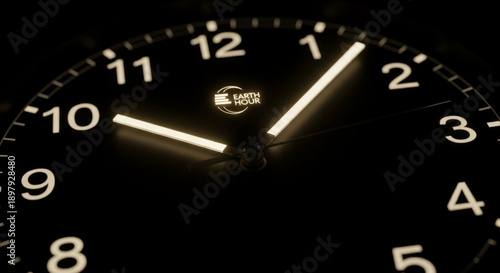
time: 10:07
